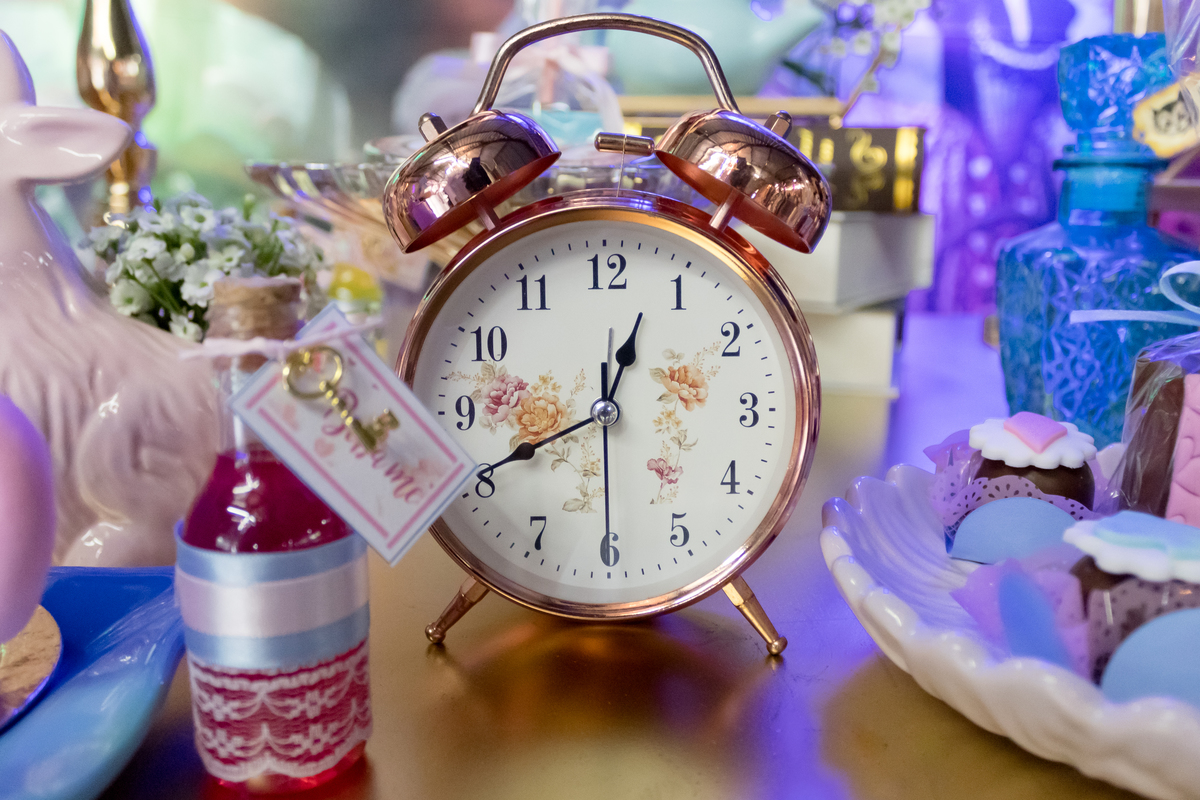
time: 12:40
